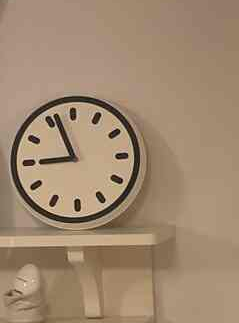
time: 8:56
